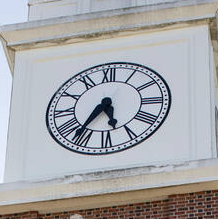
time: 5:36
